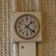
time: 1:21
